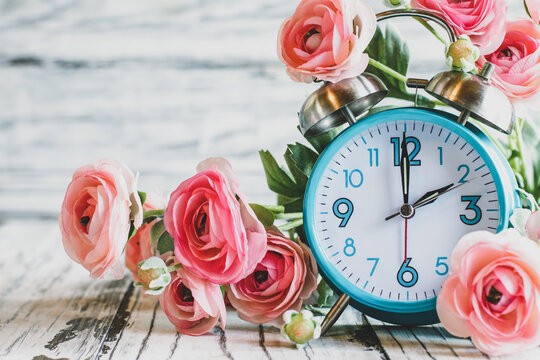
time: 1:59
